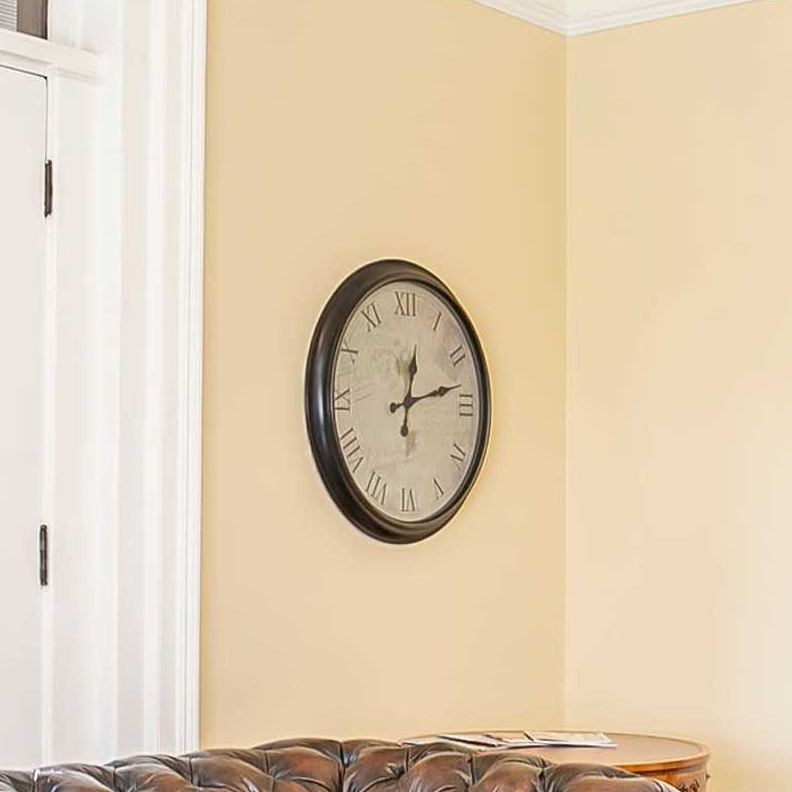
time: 12:12
